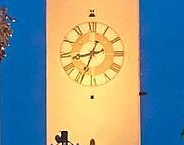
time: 8:34
